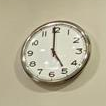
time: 4:59
